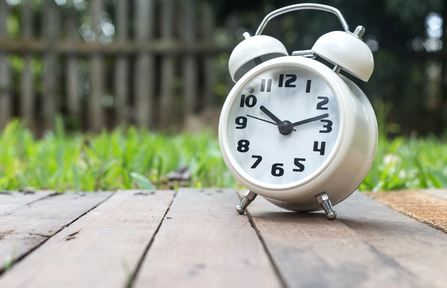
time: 10:12
